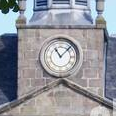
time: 11:07
